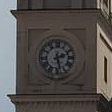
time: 2:28
